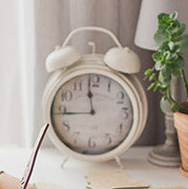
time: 11:44
